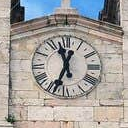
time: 11:33
